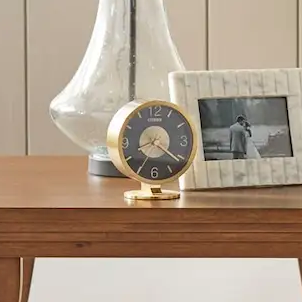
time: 8:21
